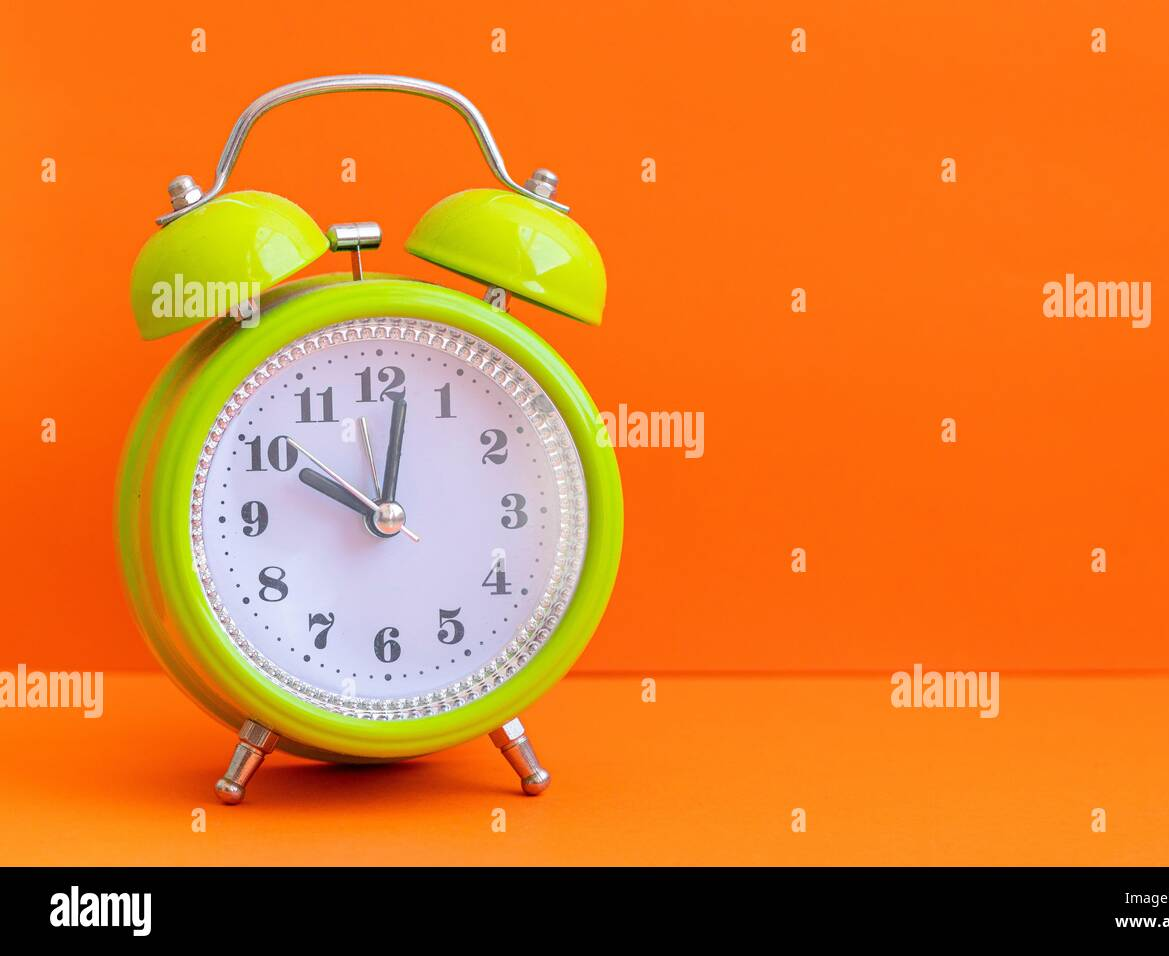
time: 10:01
